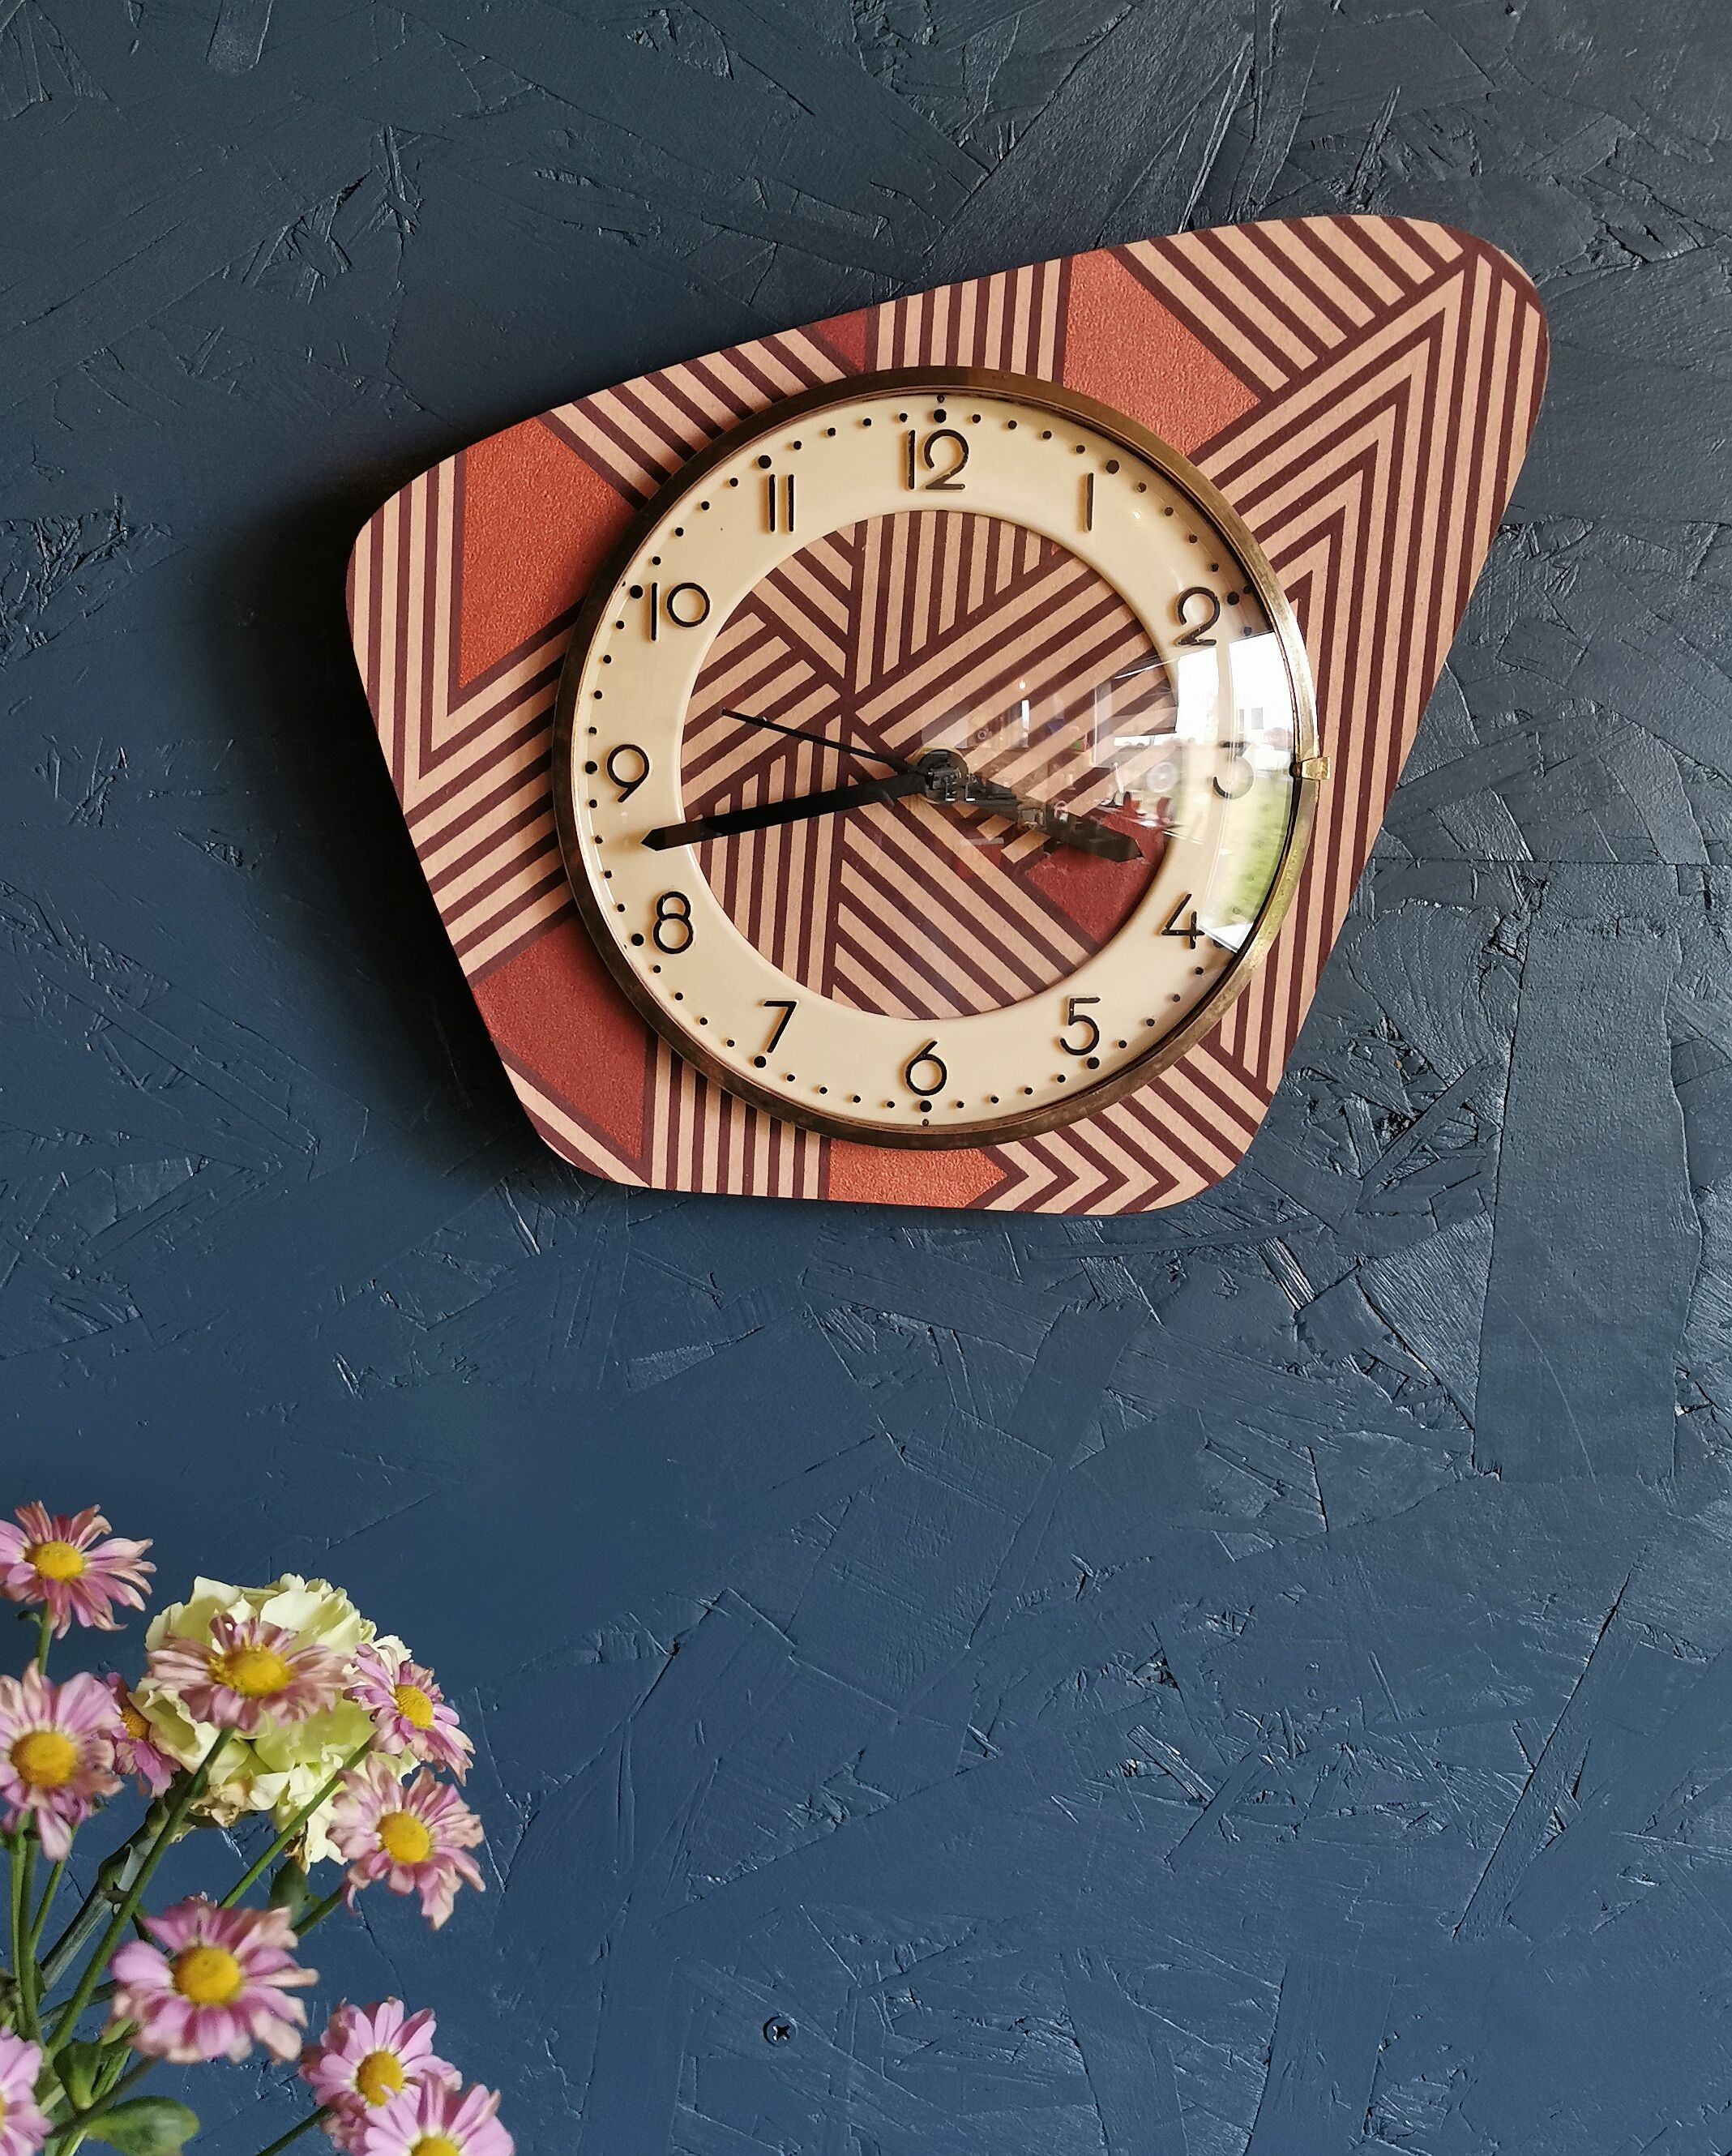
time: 3:42
